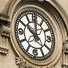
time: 10:00
